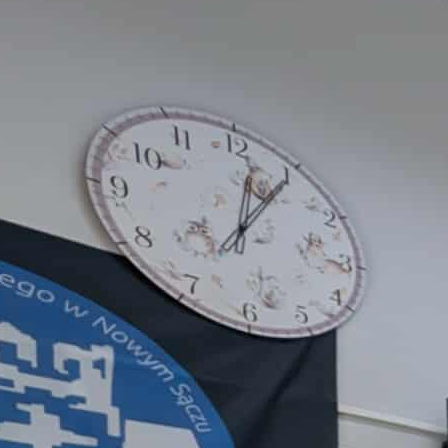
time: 1:01
